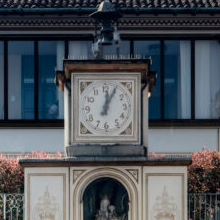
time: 12:04
